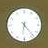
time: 6:23
